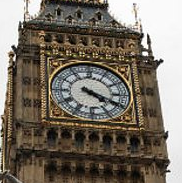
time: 4:19
